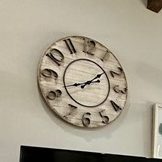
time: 1:41
